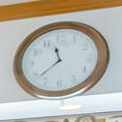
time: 11:38
